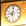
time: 9:01
